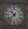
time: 10:37
